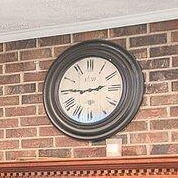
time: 2:45
